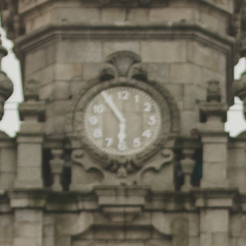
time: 5:54
